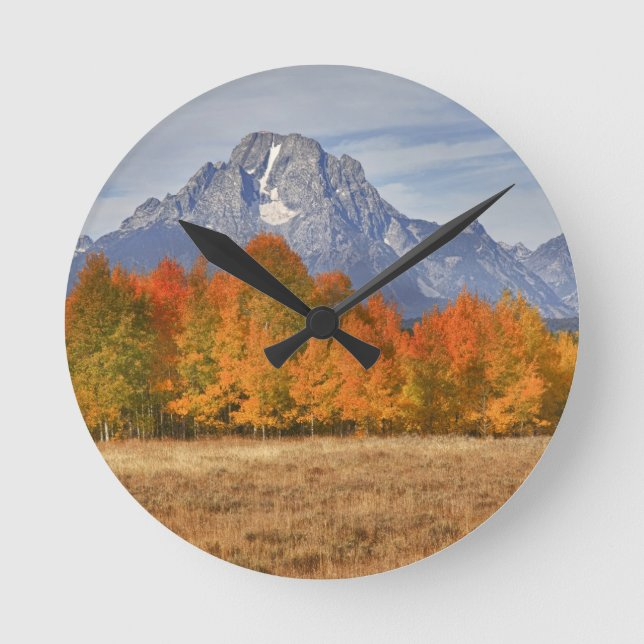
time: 10:07
